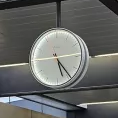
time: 5:24
